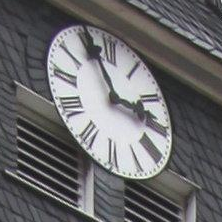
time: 2:56
